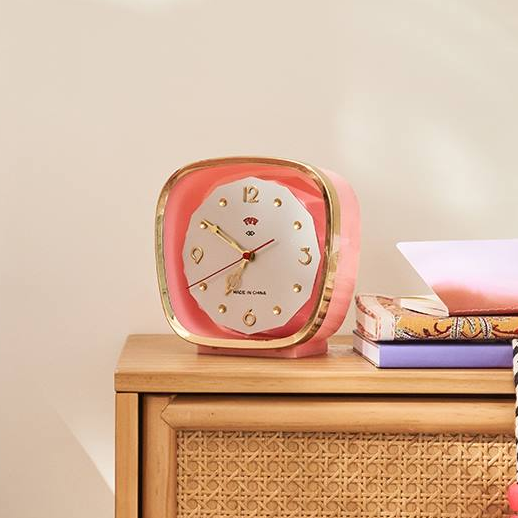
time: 6:50
